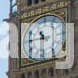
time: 10:45
